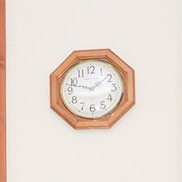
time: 1:47
